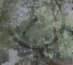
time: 7:36
